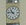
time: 10:46
